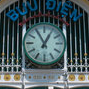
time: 12:55
